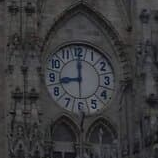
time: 9:00
